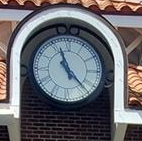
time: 11:22
